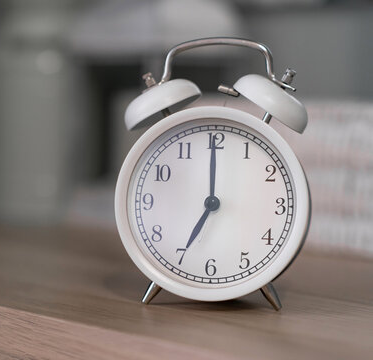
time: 7:00
